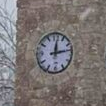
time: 12:13
